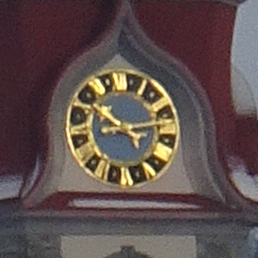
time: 2:49
